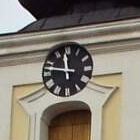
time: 11:47
